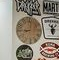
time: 9:01
